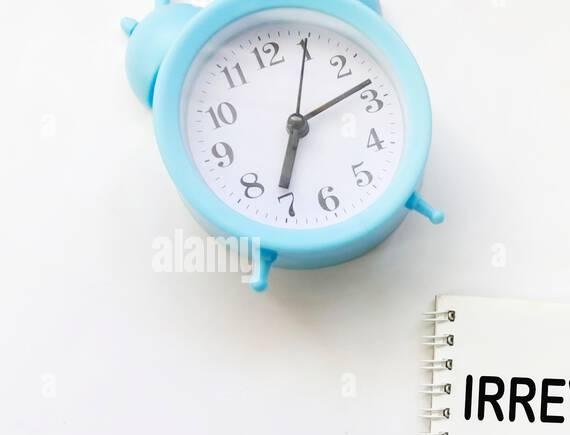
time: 7:13
